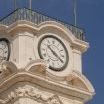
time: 10:20
